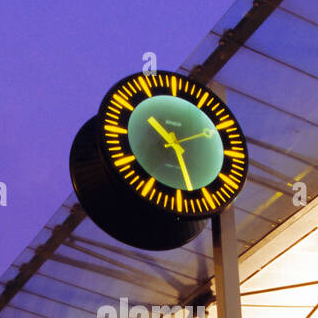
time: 10:28
